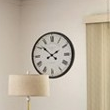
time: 1:51
